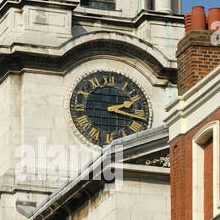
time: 2:18
